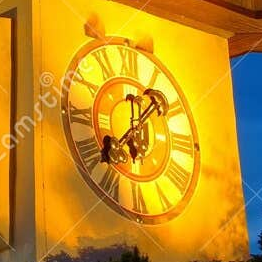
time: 12:07
